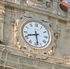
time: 8:28
